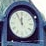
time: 11:55
